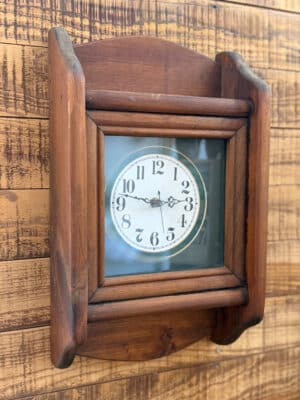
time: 2:46
